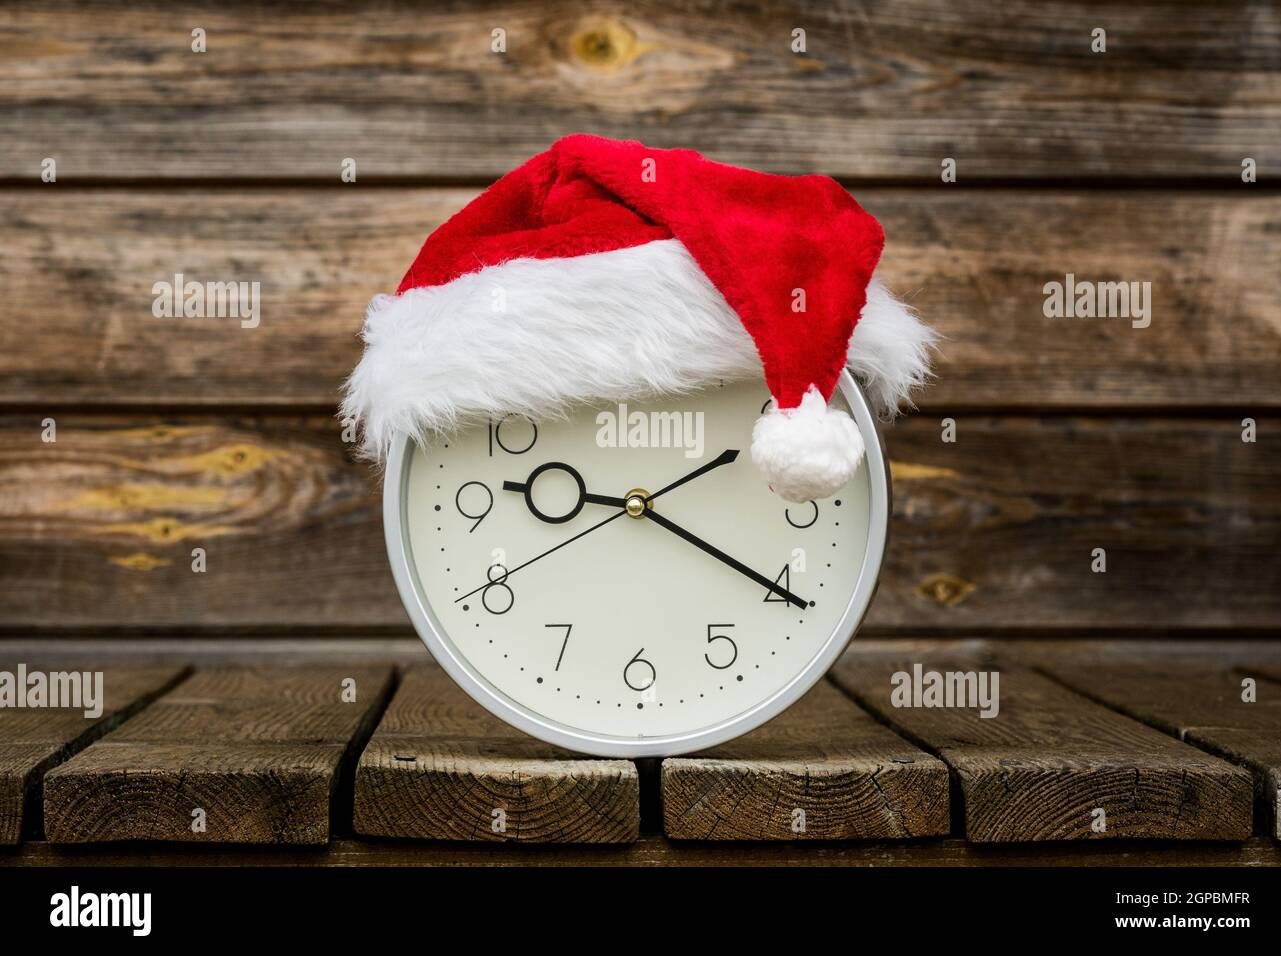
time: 9:20
